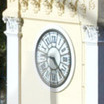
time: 9:22
